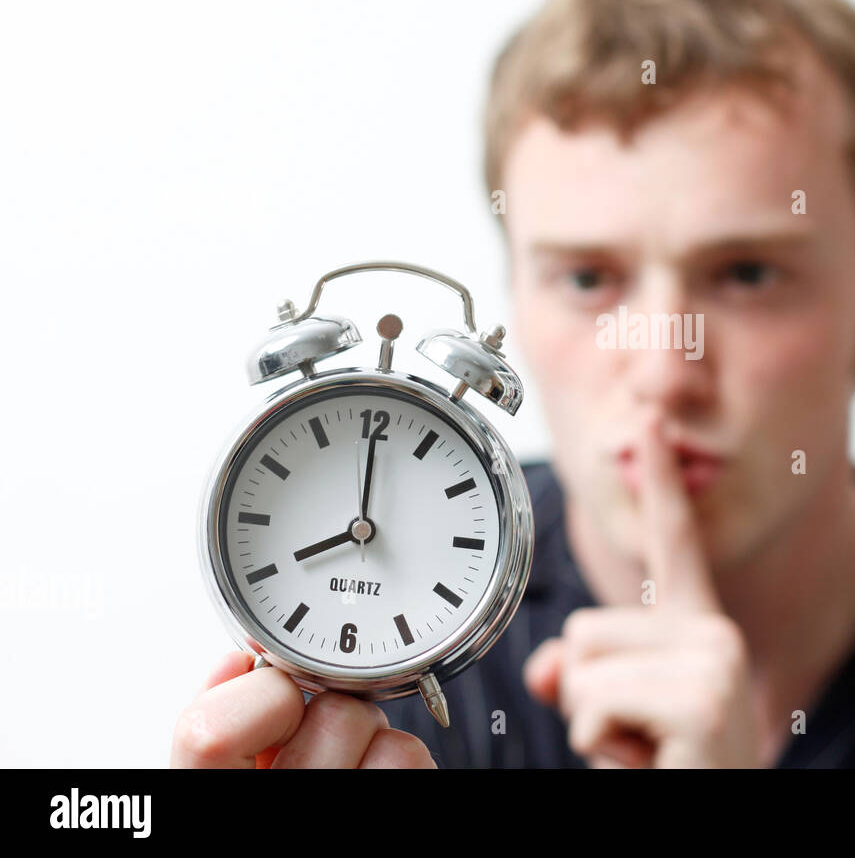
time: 8:00
